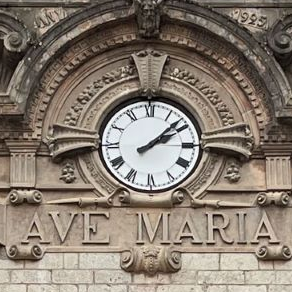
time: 2:08
